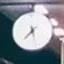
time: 7:27
